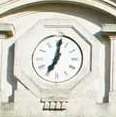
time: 7:01
